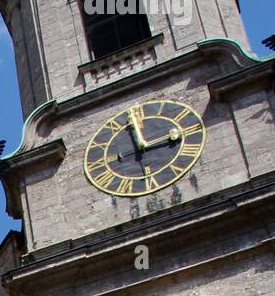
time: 2:58
